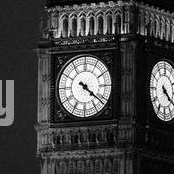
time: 4:21
